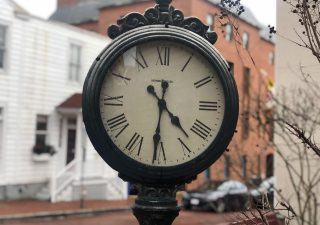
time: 4:31
